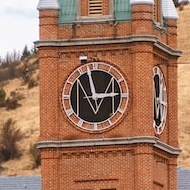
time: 2:57
